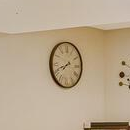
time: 7:41
